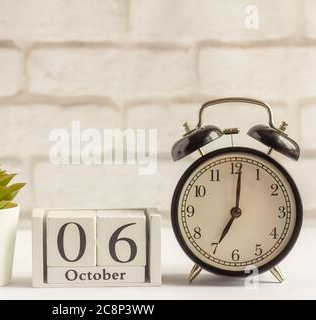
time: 7:01
